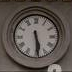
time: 5:29
